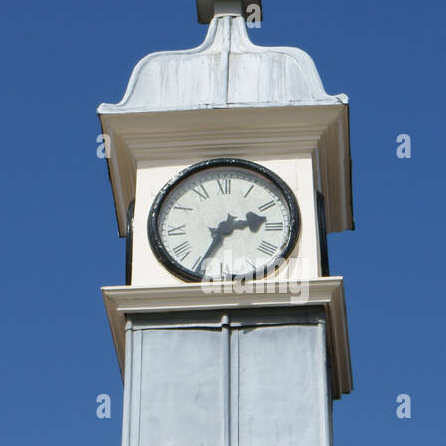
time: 2:34
